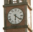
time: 6:21
